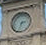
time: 2:33
